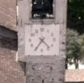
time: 4:35
